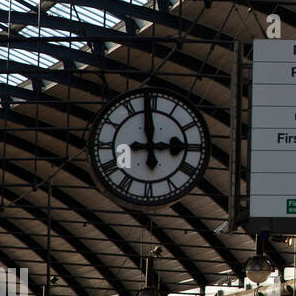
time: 2:58
